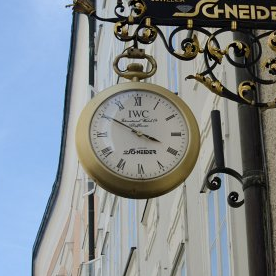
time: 3:50
